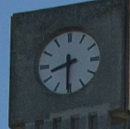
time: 8:30
